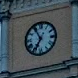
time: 6:54
